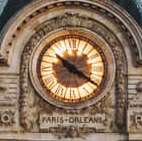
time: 10:20
